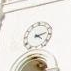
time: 4:12
